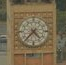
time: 4:37
